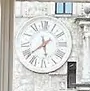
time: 5:38
